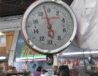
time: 5:57
